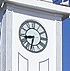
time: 8:32
